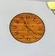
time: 11:22
